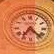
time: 7:22
